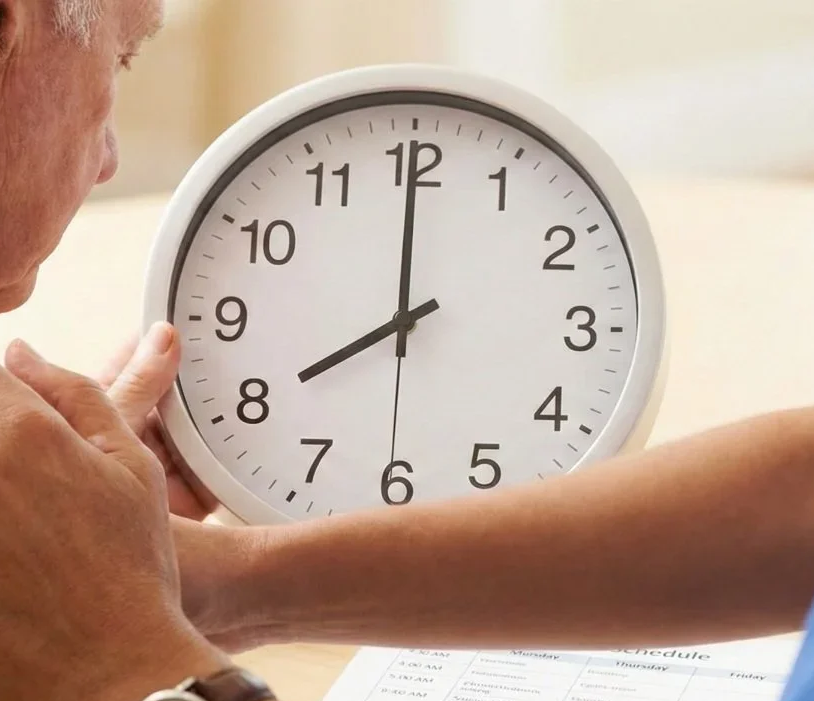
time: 8:00
